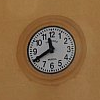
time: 11:40
